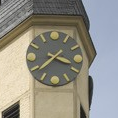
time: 3:38
